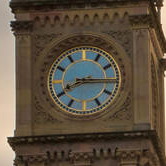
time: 8:15
